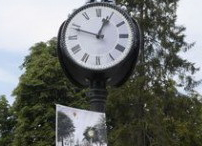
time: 12:48
